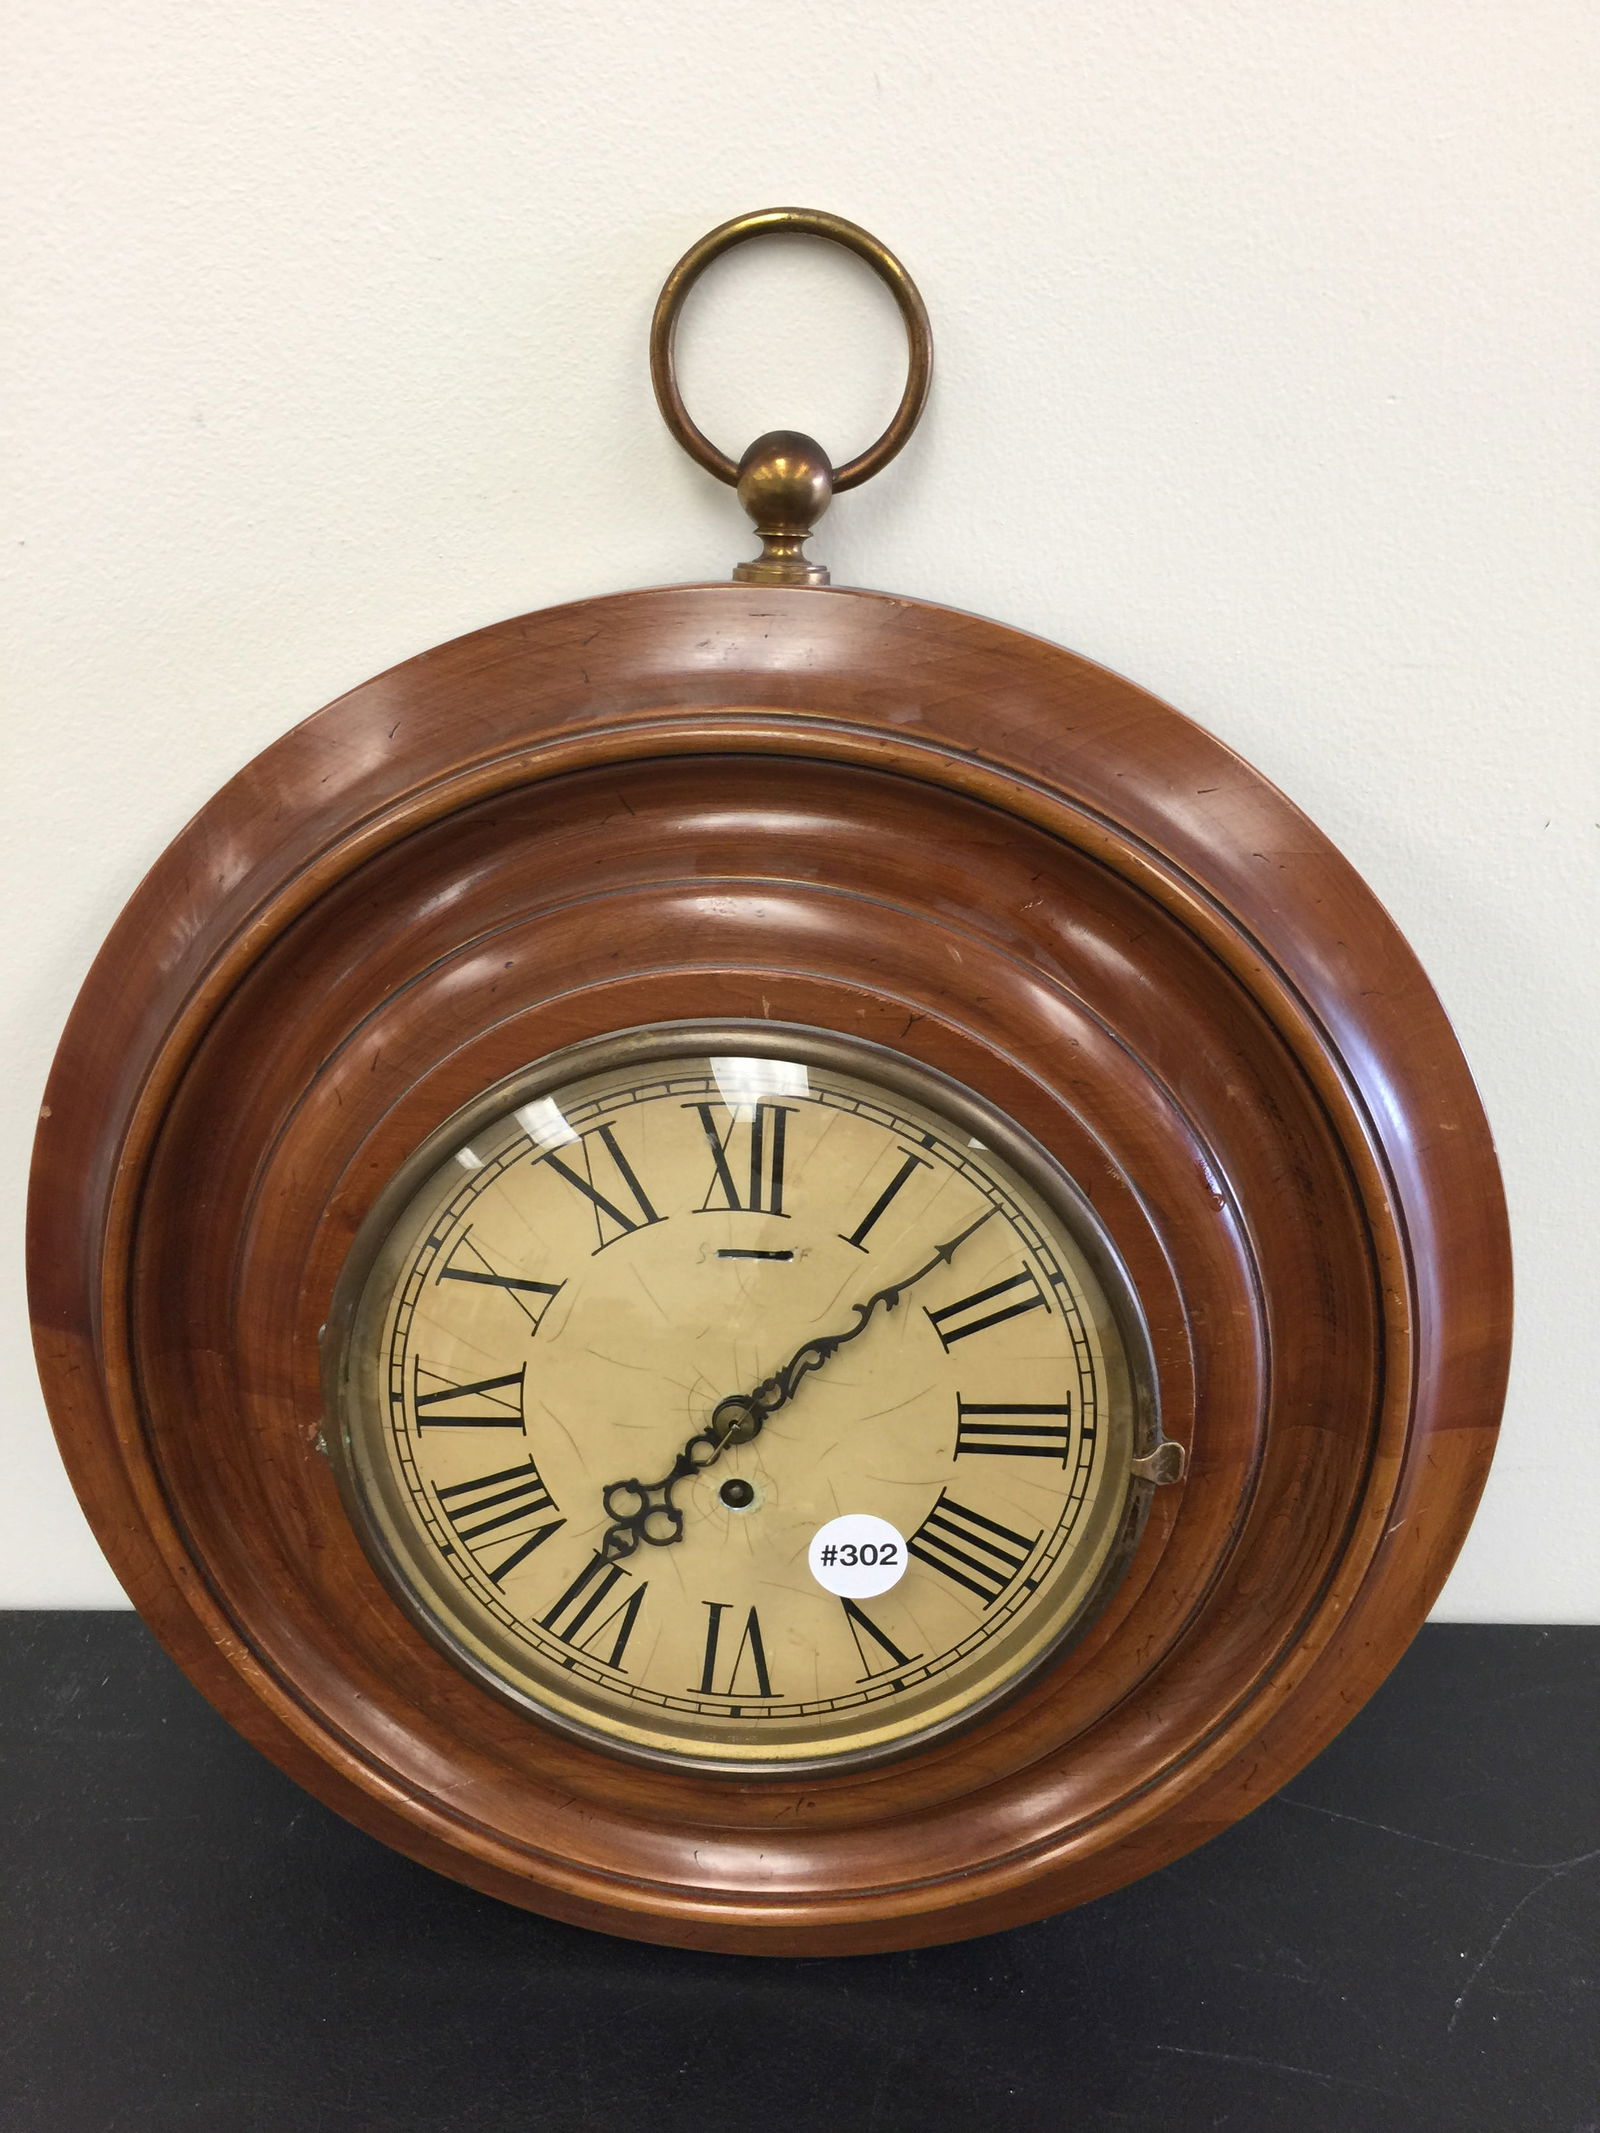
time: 7:07
